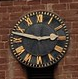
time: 2:47
